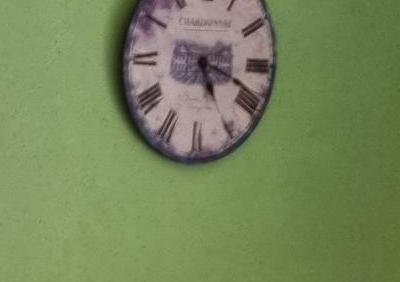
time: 5:18
